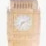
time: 7:11
